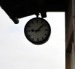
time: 9:07
